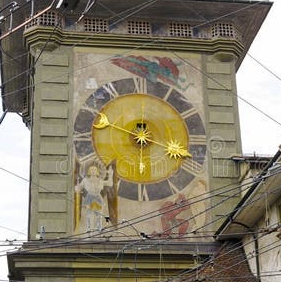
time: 3:48
